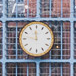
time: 11:47
